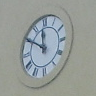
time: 11:50
